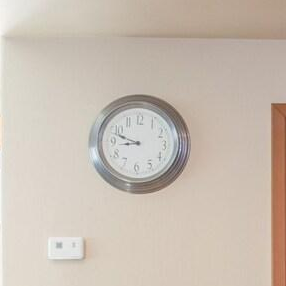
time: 8:48
